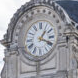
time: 1:18
